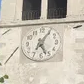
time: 5:05
